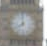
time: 7:59
